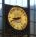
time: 8:41
